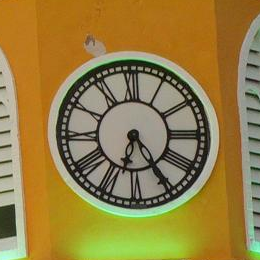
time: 6:24
